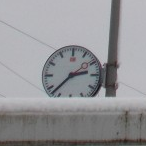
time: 2:37
